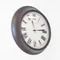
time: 11:13
